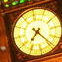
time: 7:23
